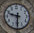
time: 9:31
